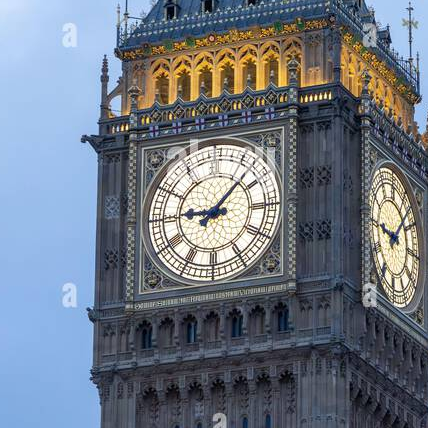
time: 9:07
